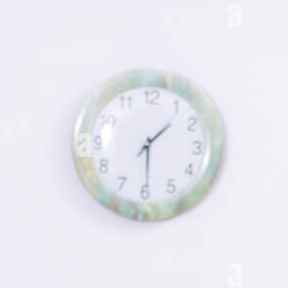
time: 1:29
